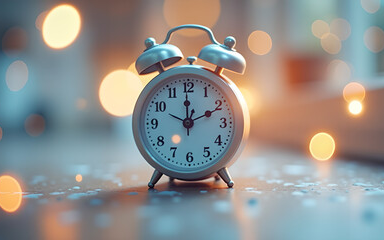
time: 1:59
